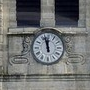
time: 11:57
